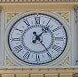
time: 1:24
